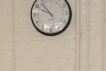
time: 9:53
